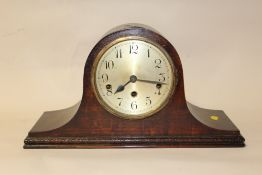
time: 7:17
